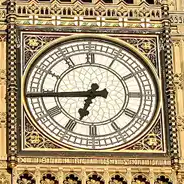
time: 6:44
